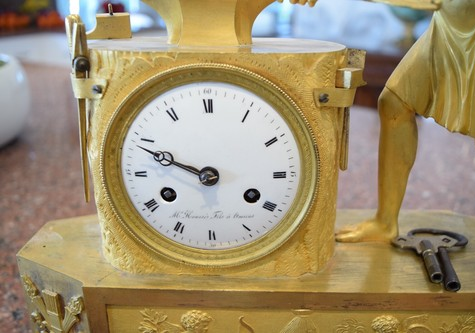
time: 9:48
